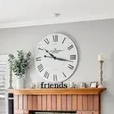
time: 10:16
